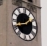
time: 1:42
